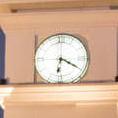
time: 6:19
